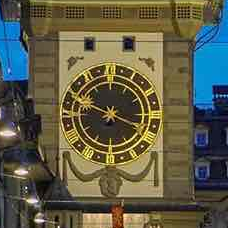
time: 3:48
